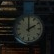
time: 2:00
